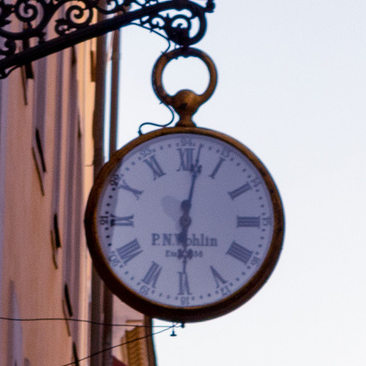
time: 6:01
